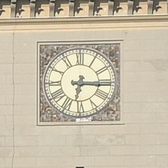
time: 6:15
